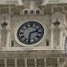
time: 2:31
